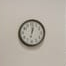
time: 12:32
